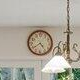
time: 4:39
